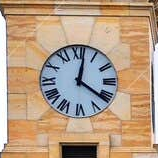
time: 12:21
